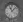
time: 11:07
